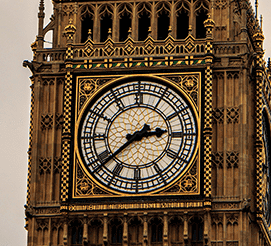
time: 2:38
